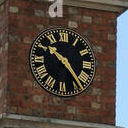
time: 10:23
